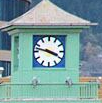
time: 3:47
